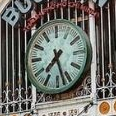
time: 7:27
